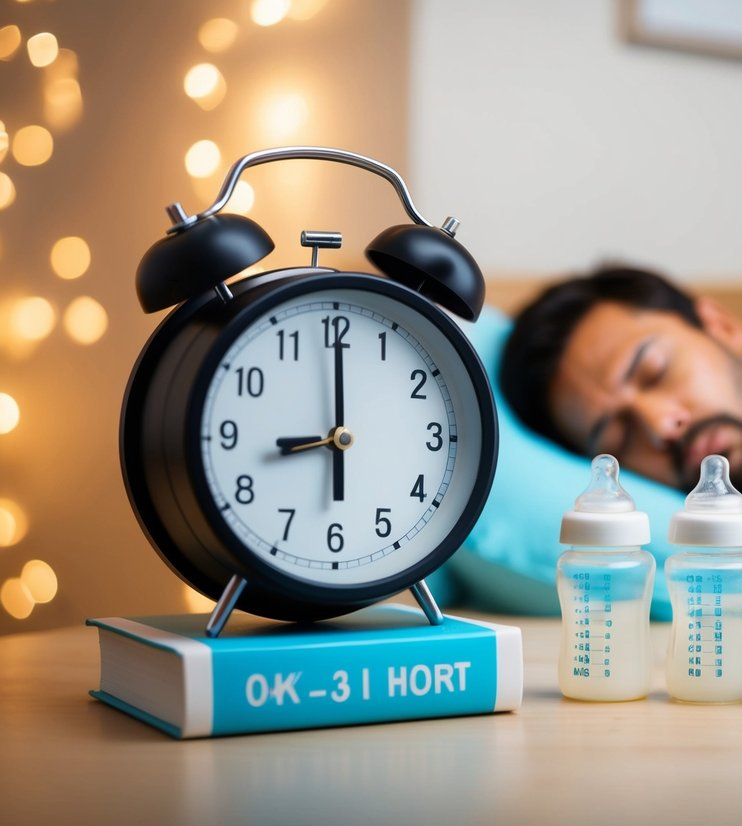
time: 9:00
